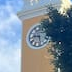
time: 9:28
